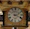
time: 2:18
